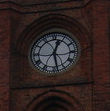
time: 12:28
